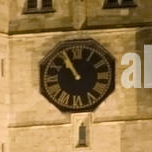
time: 10:55
